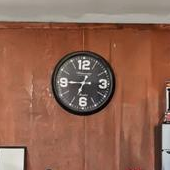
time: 6:45
